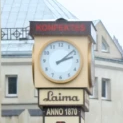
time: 2:08
